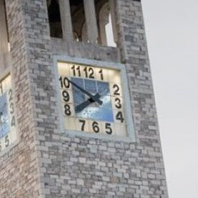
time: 7:50
